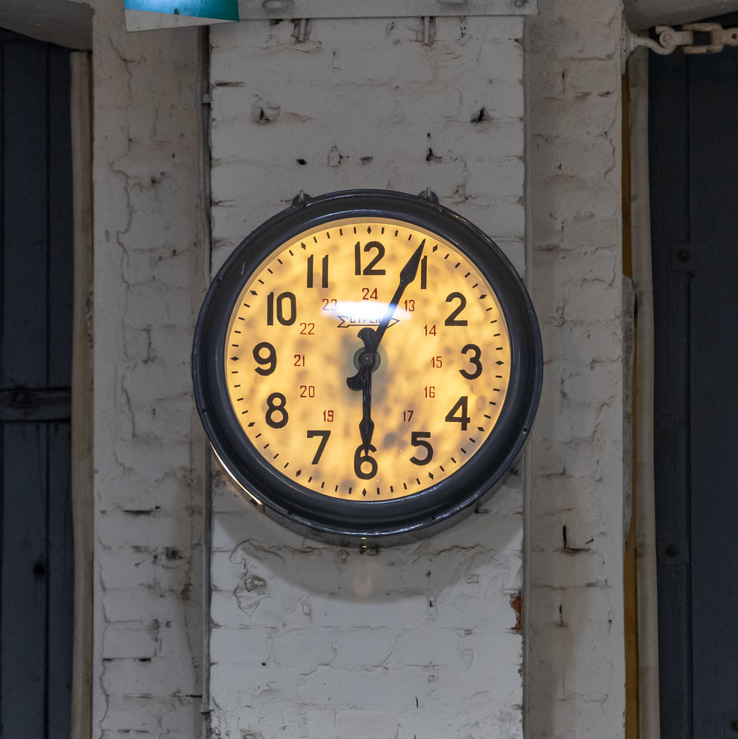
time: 6:04
